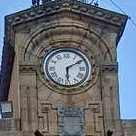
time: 6:09
